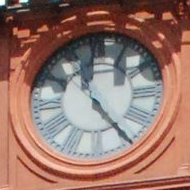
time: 11:24
